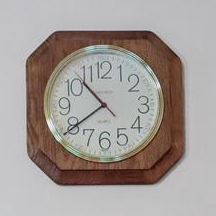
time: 10:39
